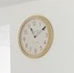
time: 11:09
